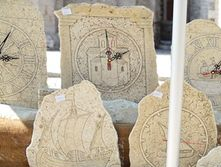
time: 1:59
